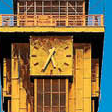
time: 5:34
